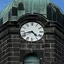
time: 4:42
